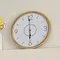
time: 5:59
